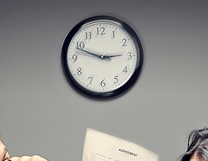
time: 2:48
